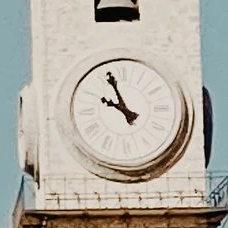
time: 9:56
